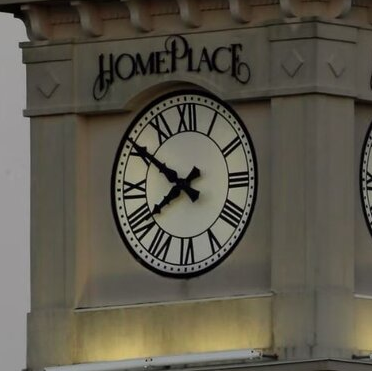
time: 7:50
